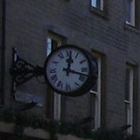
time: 12:17
